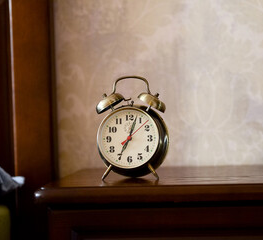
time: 7:03
